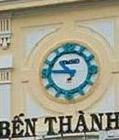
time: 10:45
